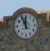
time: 11:55
